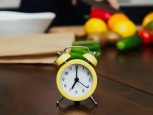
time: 7:00
